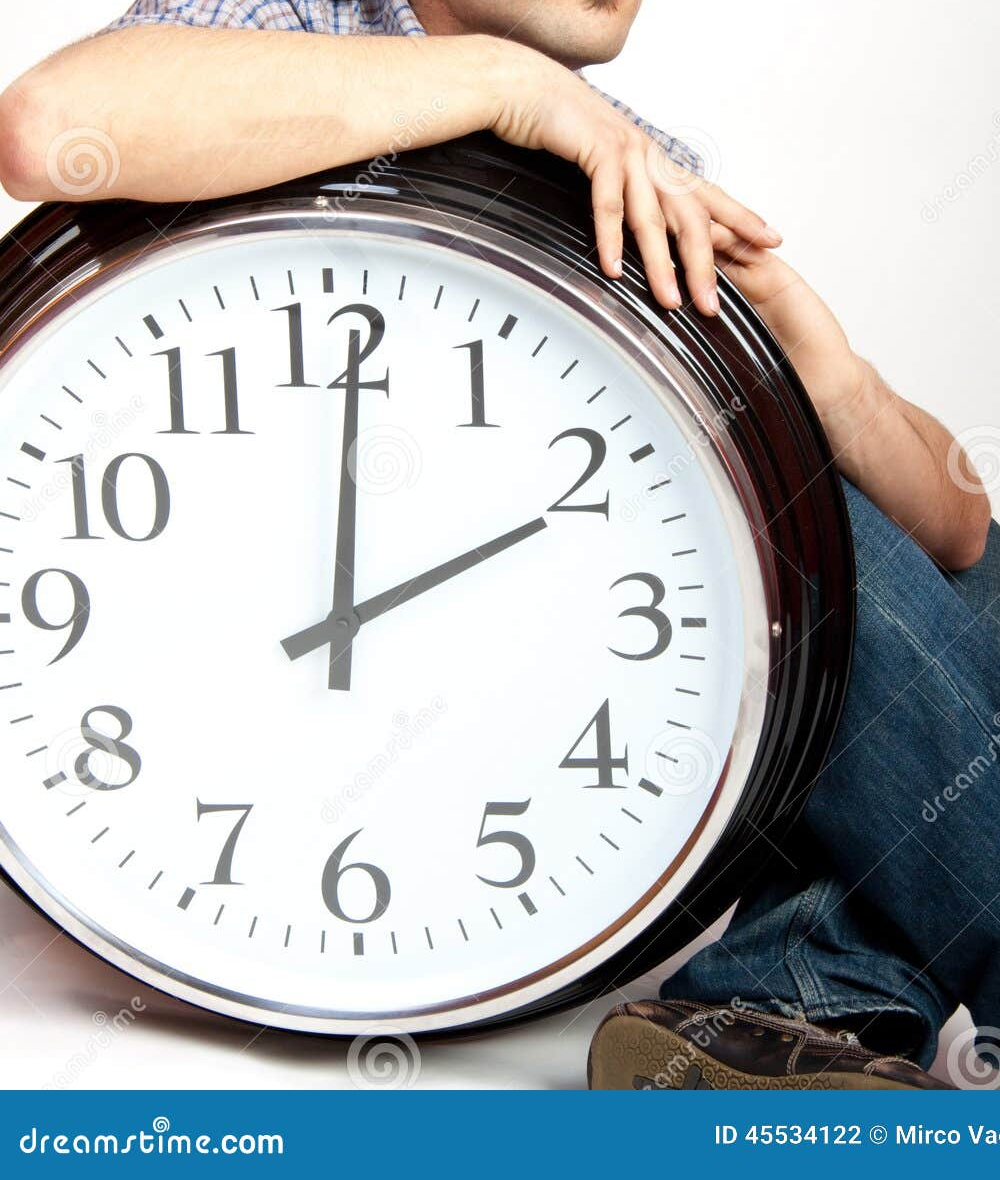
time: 2:00
